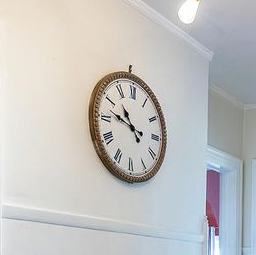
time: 10:47
